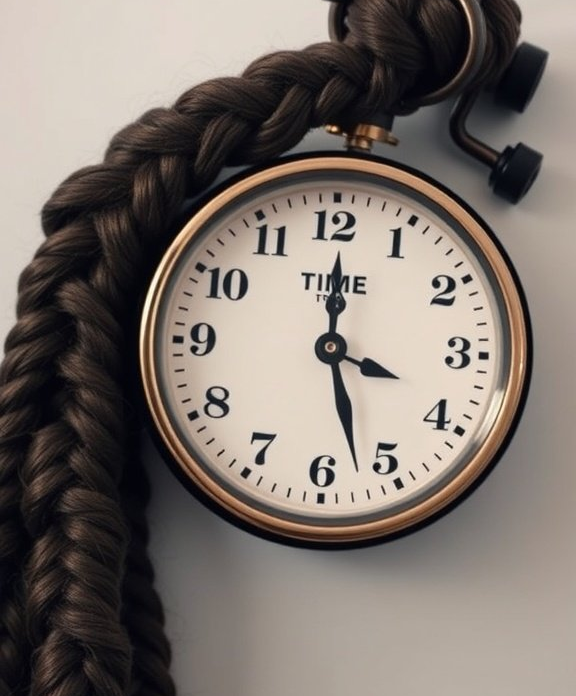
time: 3:27
